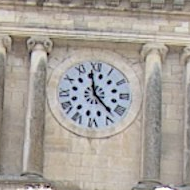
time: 3:58
